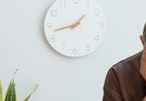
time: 1:42
